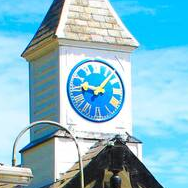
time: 9:07
